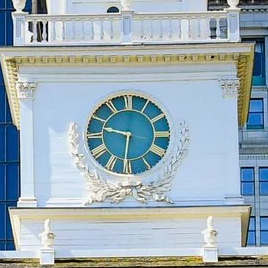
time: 9:31
